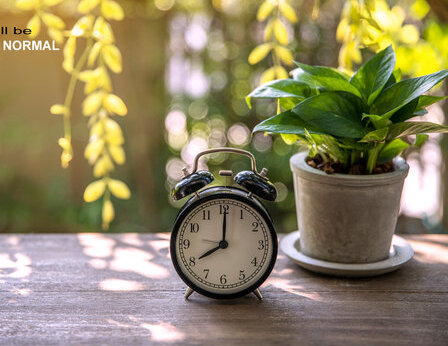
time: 8:00
